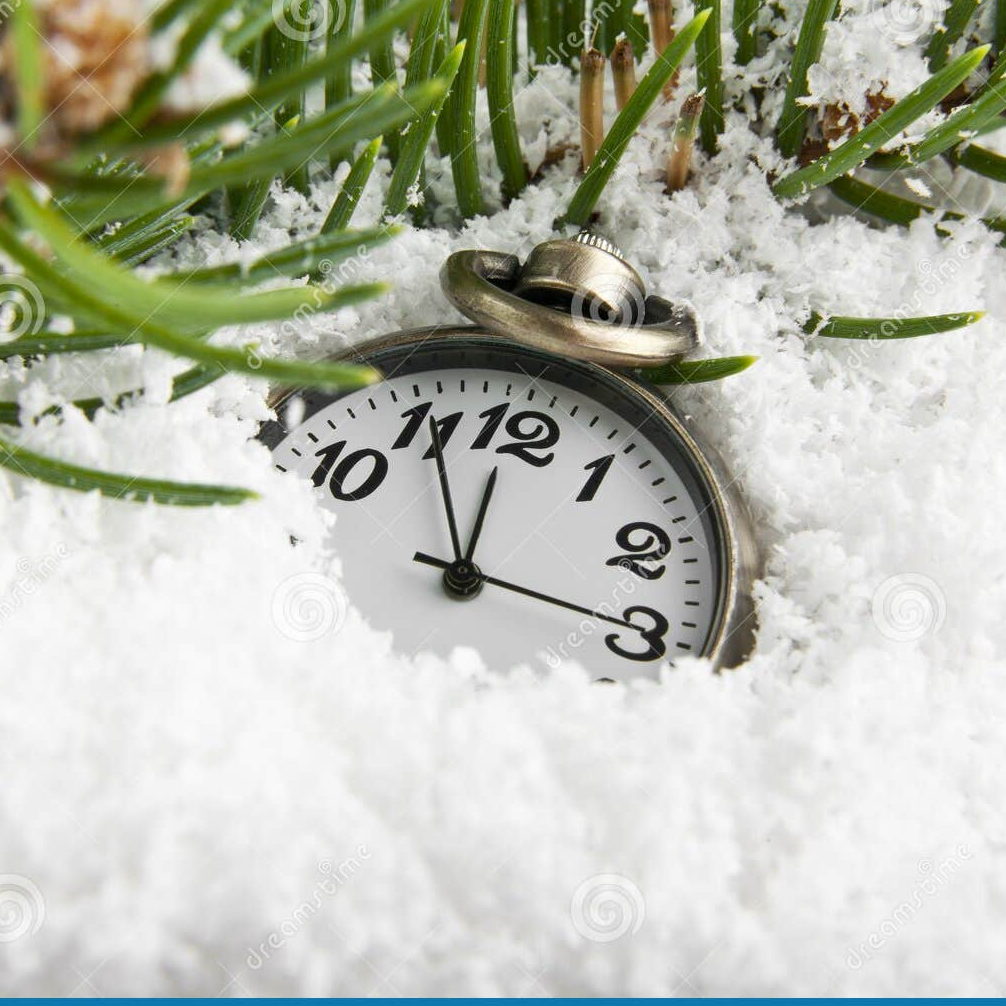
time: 11:55
